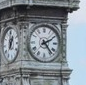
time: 2:23
